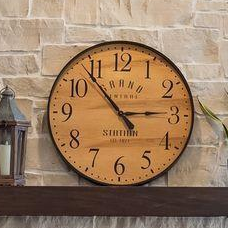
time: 2:53
